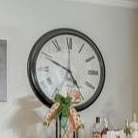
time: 4:49
